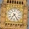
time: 7:24
